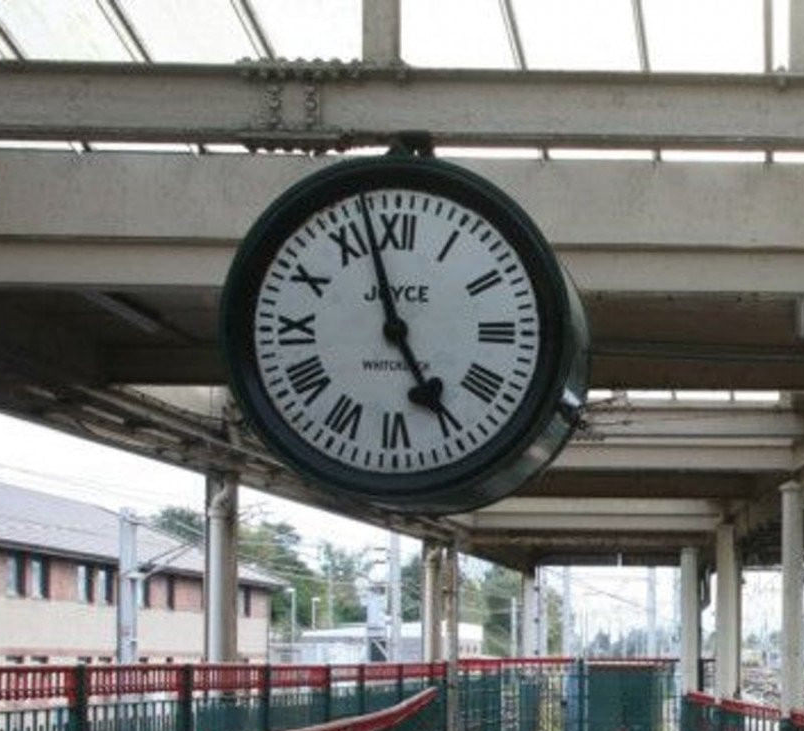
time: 4:57
